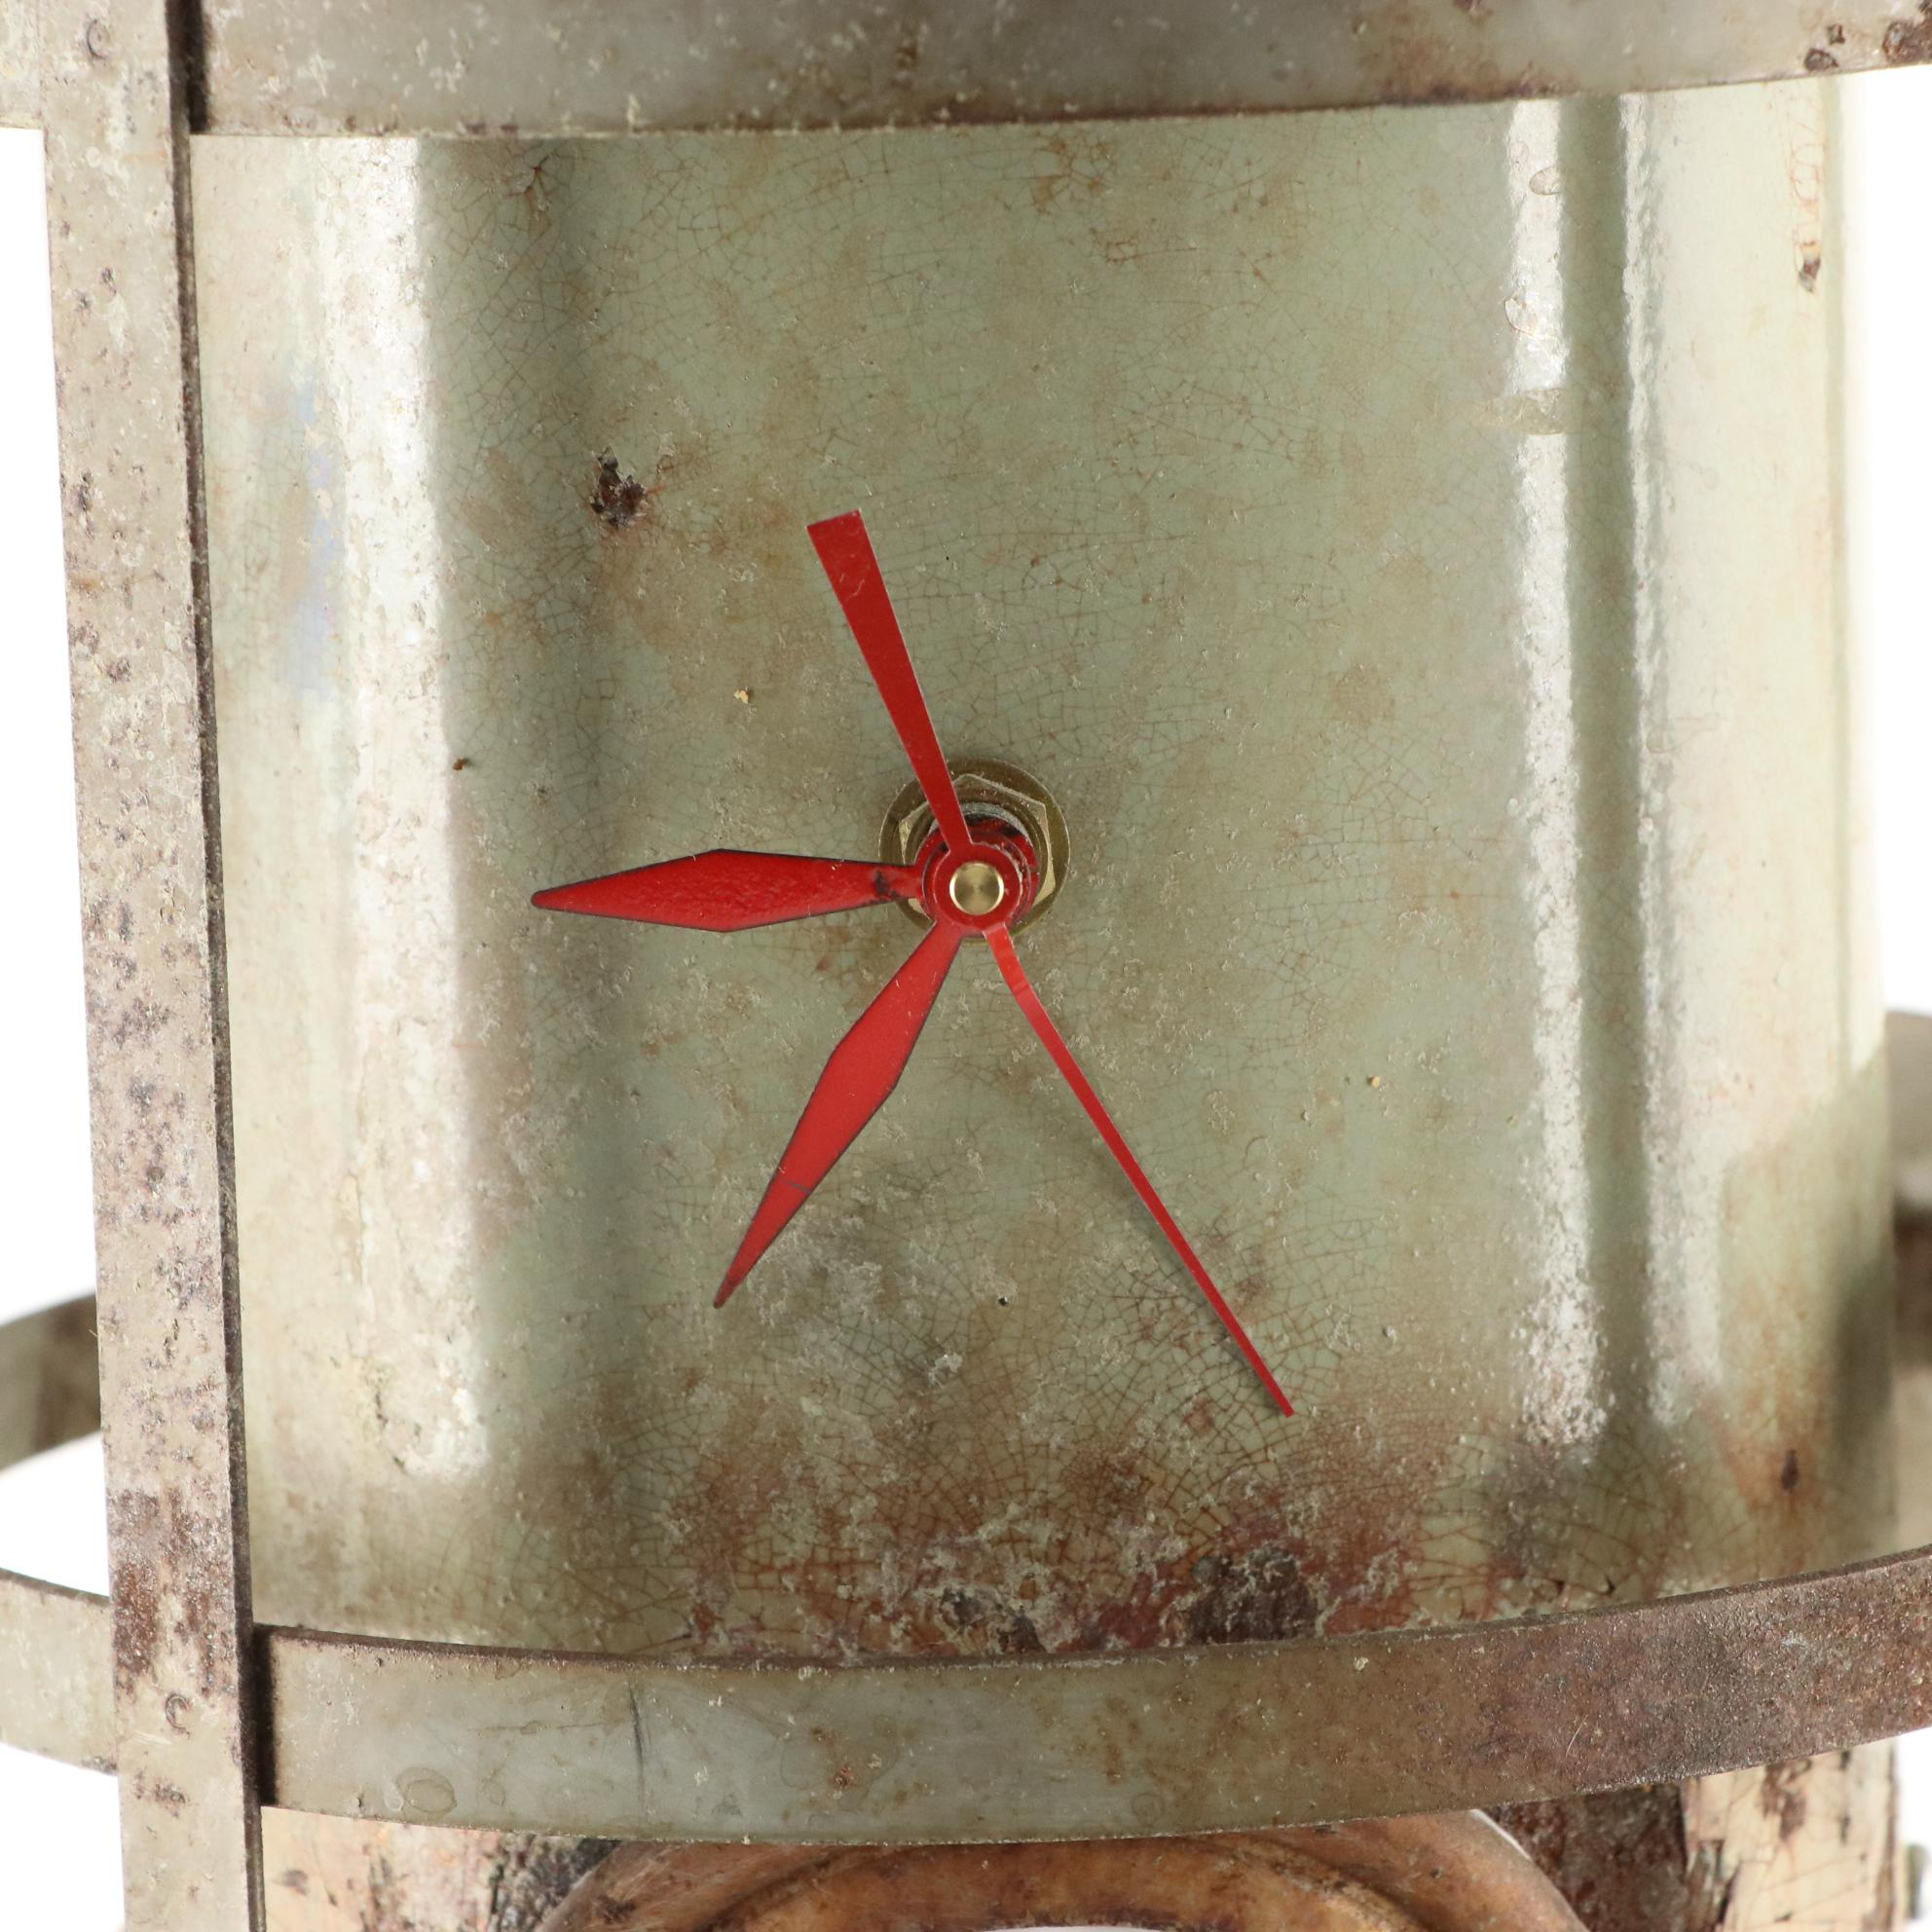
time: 10:45
